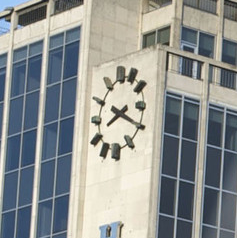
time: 8:19
